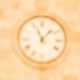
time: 11:07
